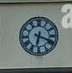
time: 6:18
